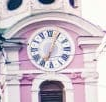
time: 7:04
